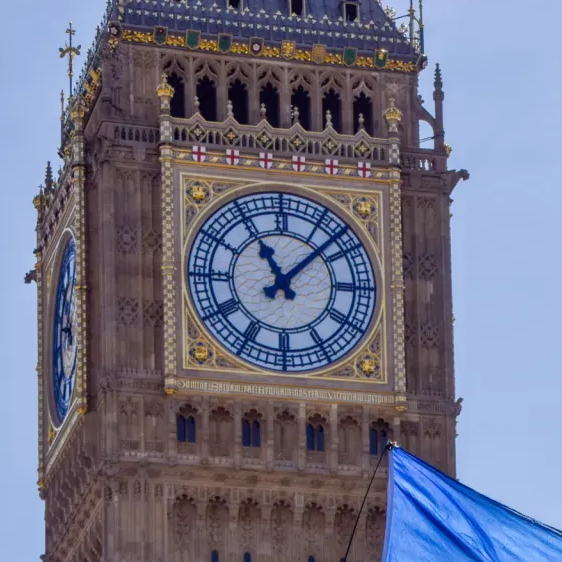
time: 11:07
